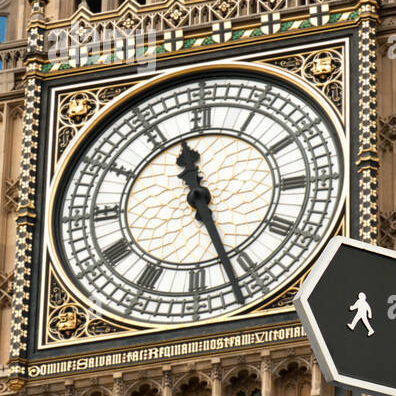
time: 11:26
